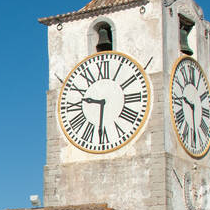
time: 9:31
